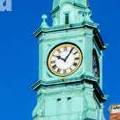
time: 10:05
